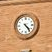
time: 4:23
